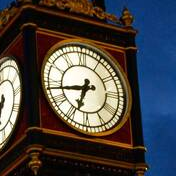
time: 6:43
